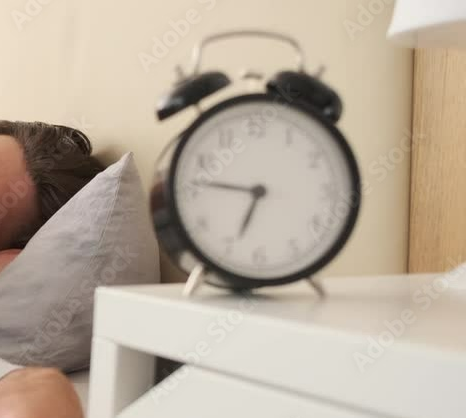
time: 6:46
